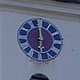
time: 5:59
